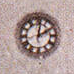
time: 2:01
